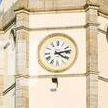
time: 4:12
